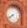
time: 7:38
